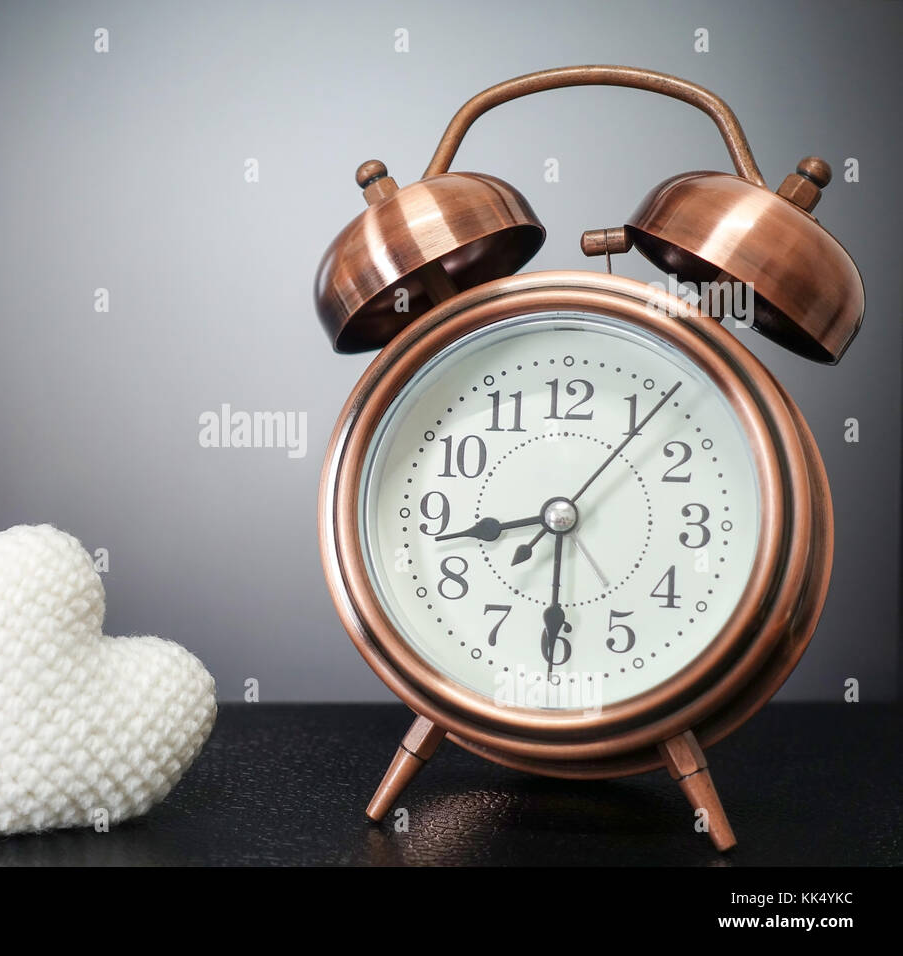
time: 8:30
